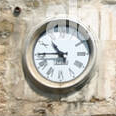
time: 10:45
